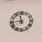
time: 11:44
